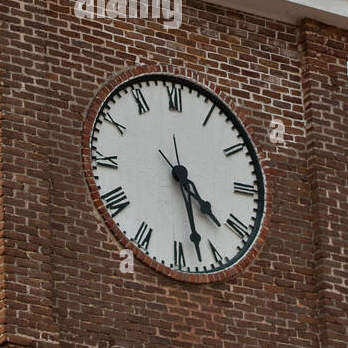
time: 4:27
